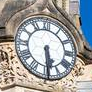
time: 5:29
